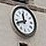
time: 11:41
